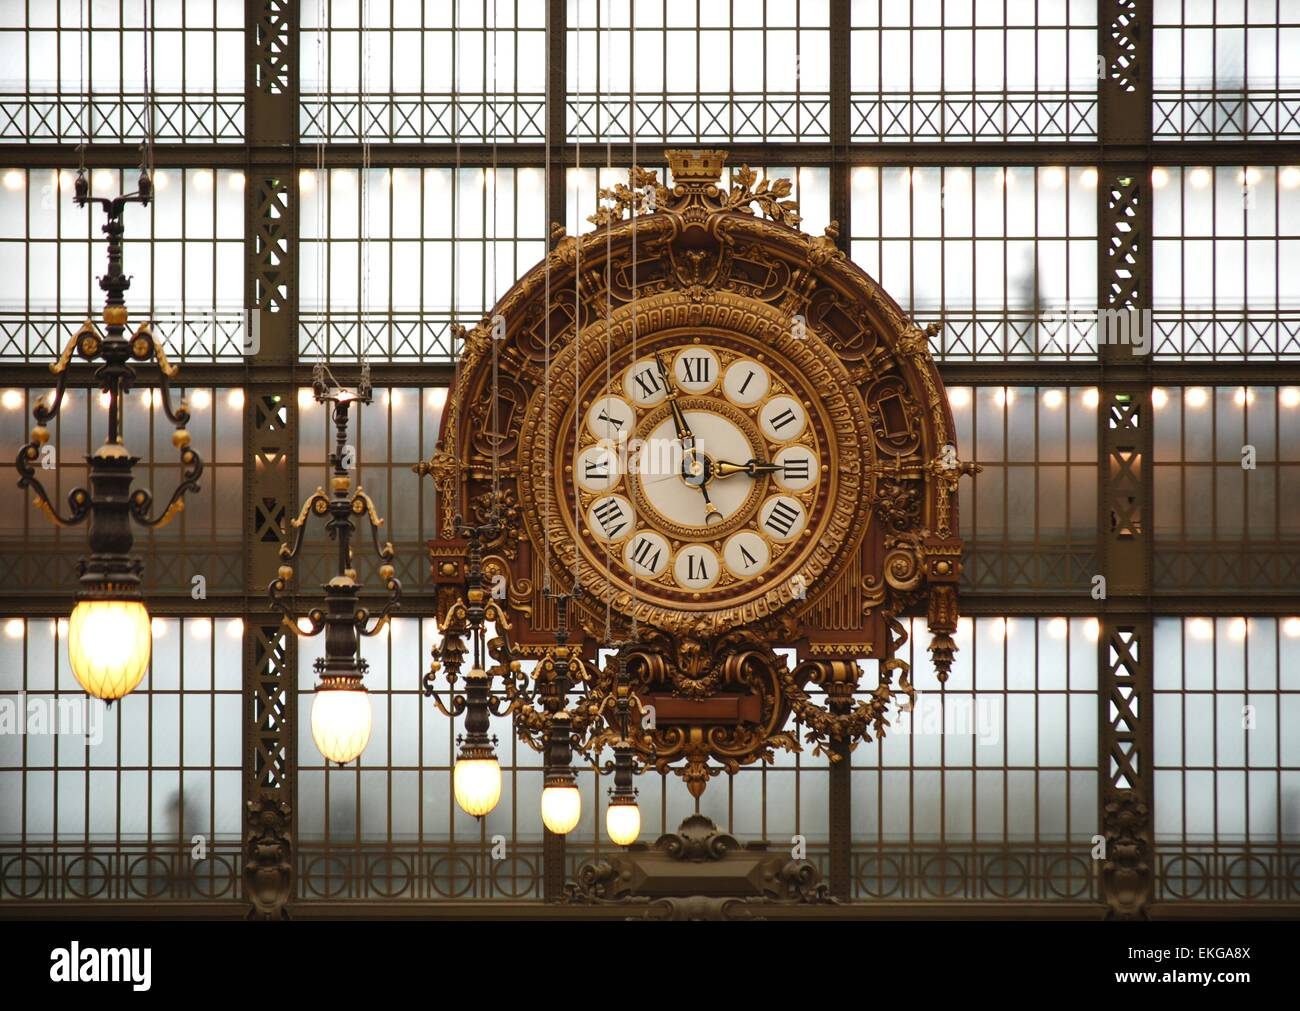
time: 2:56
